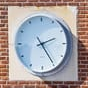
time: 2:24
